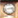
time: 2:42
